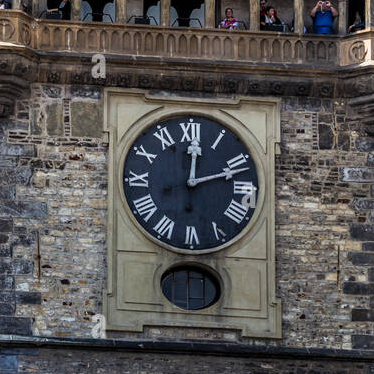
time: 12:11
